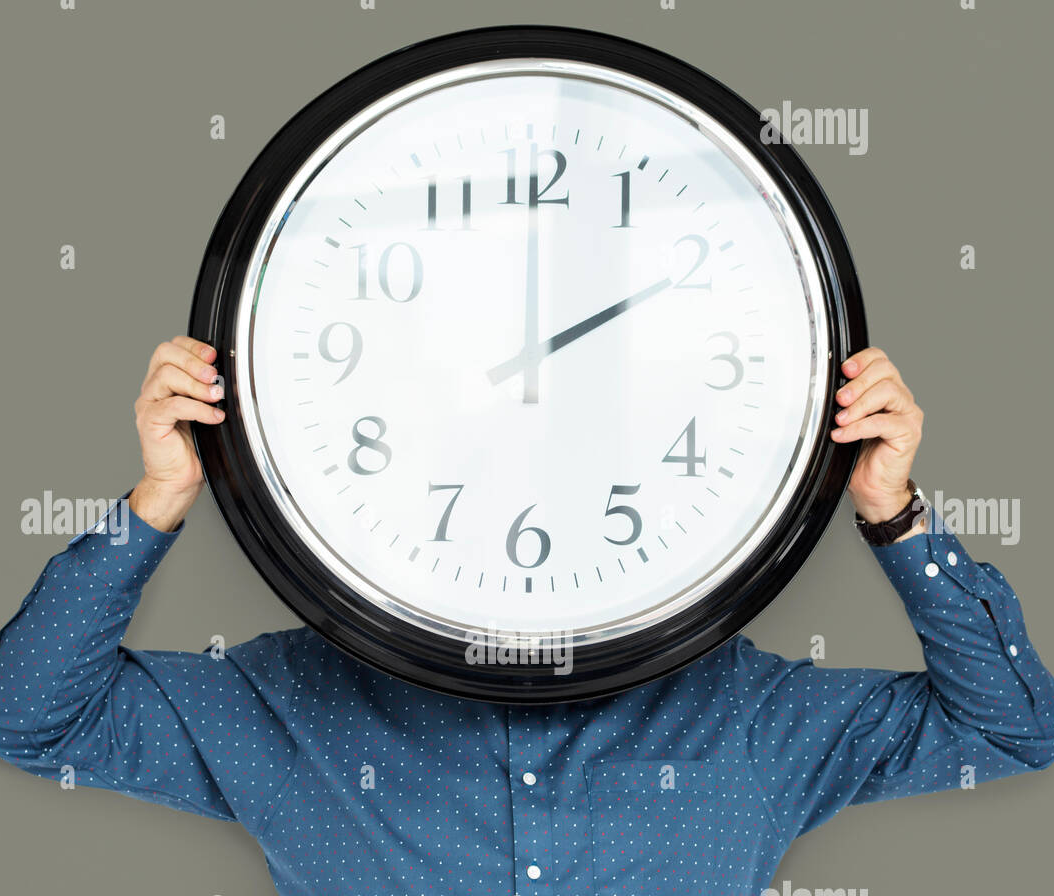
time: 2:00
